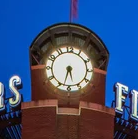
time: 5:32
